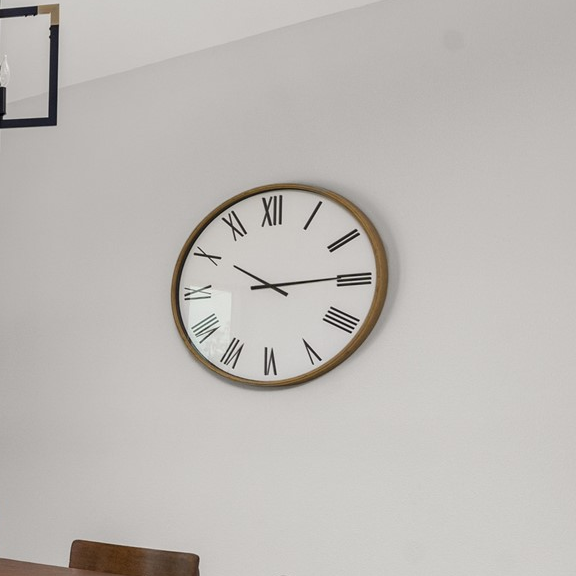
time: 10:14
